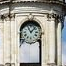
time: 11:07
